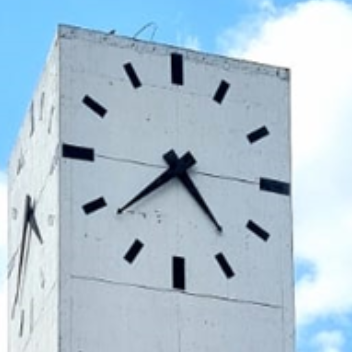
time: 4:38
